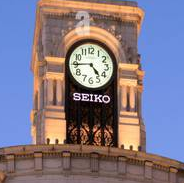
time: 4:44
